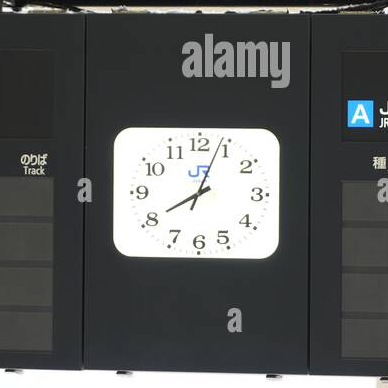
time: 8:03
